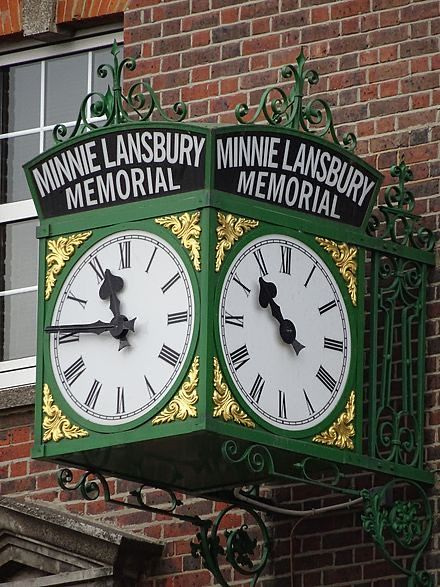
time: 10:45
